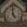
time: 4:59
